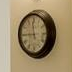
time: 11:44
